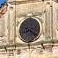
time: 8:20
